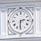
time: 2:30
